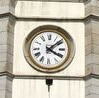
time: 4:08
